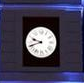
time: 9:41
